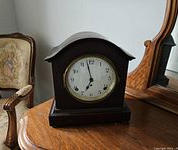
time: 6:58
